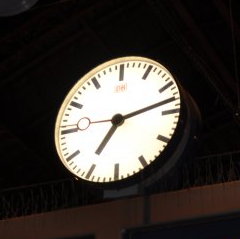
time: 7:12
